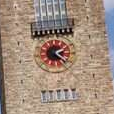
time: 2:21
